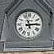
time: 11:13
